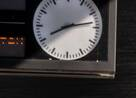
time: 8:13
